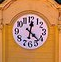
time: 12:22
